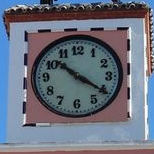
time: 10:20
